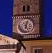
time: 5:02
